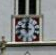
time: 11:46
